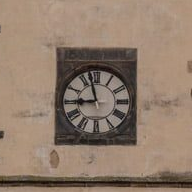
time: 8:57
